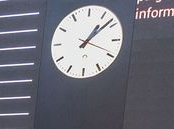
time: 1:08
